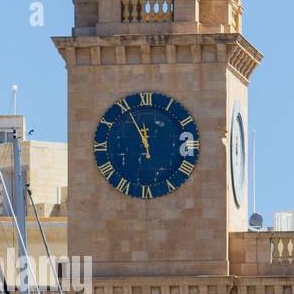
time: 11:55
